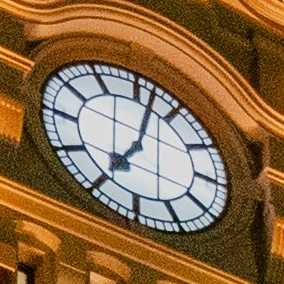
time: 7:02
